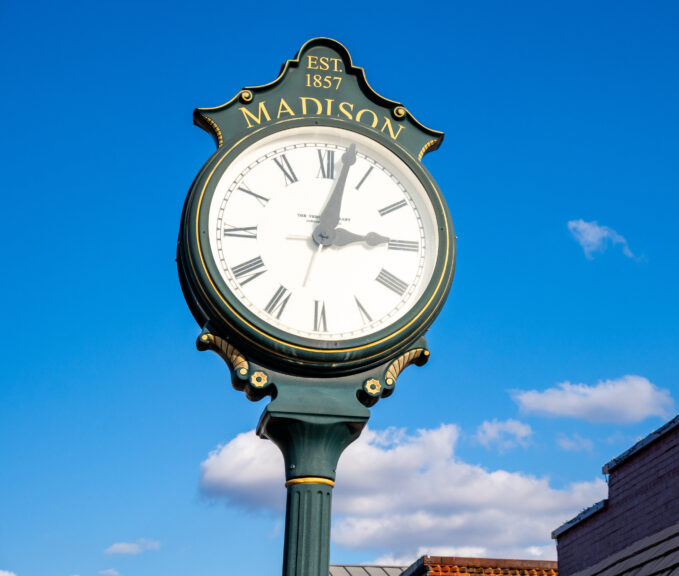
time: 3:02
